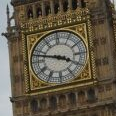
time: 3:47
